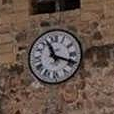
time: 11:18
